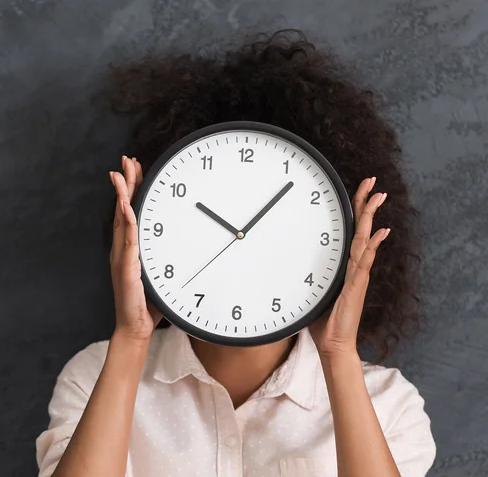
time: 10:07
